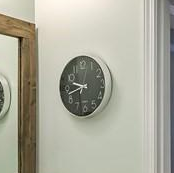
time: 9:42
